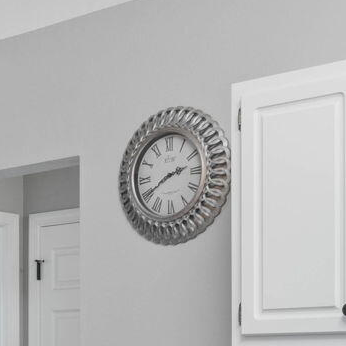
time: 2:40
